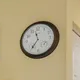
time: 11:36
